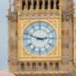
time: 2:48
